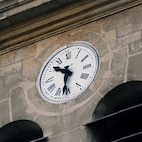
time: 10:31
